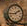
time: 1:43
